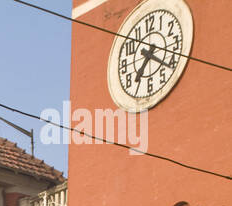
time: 7:21
